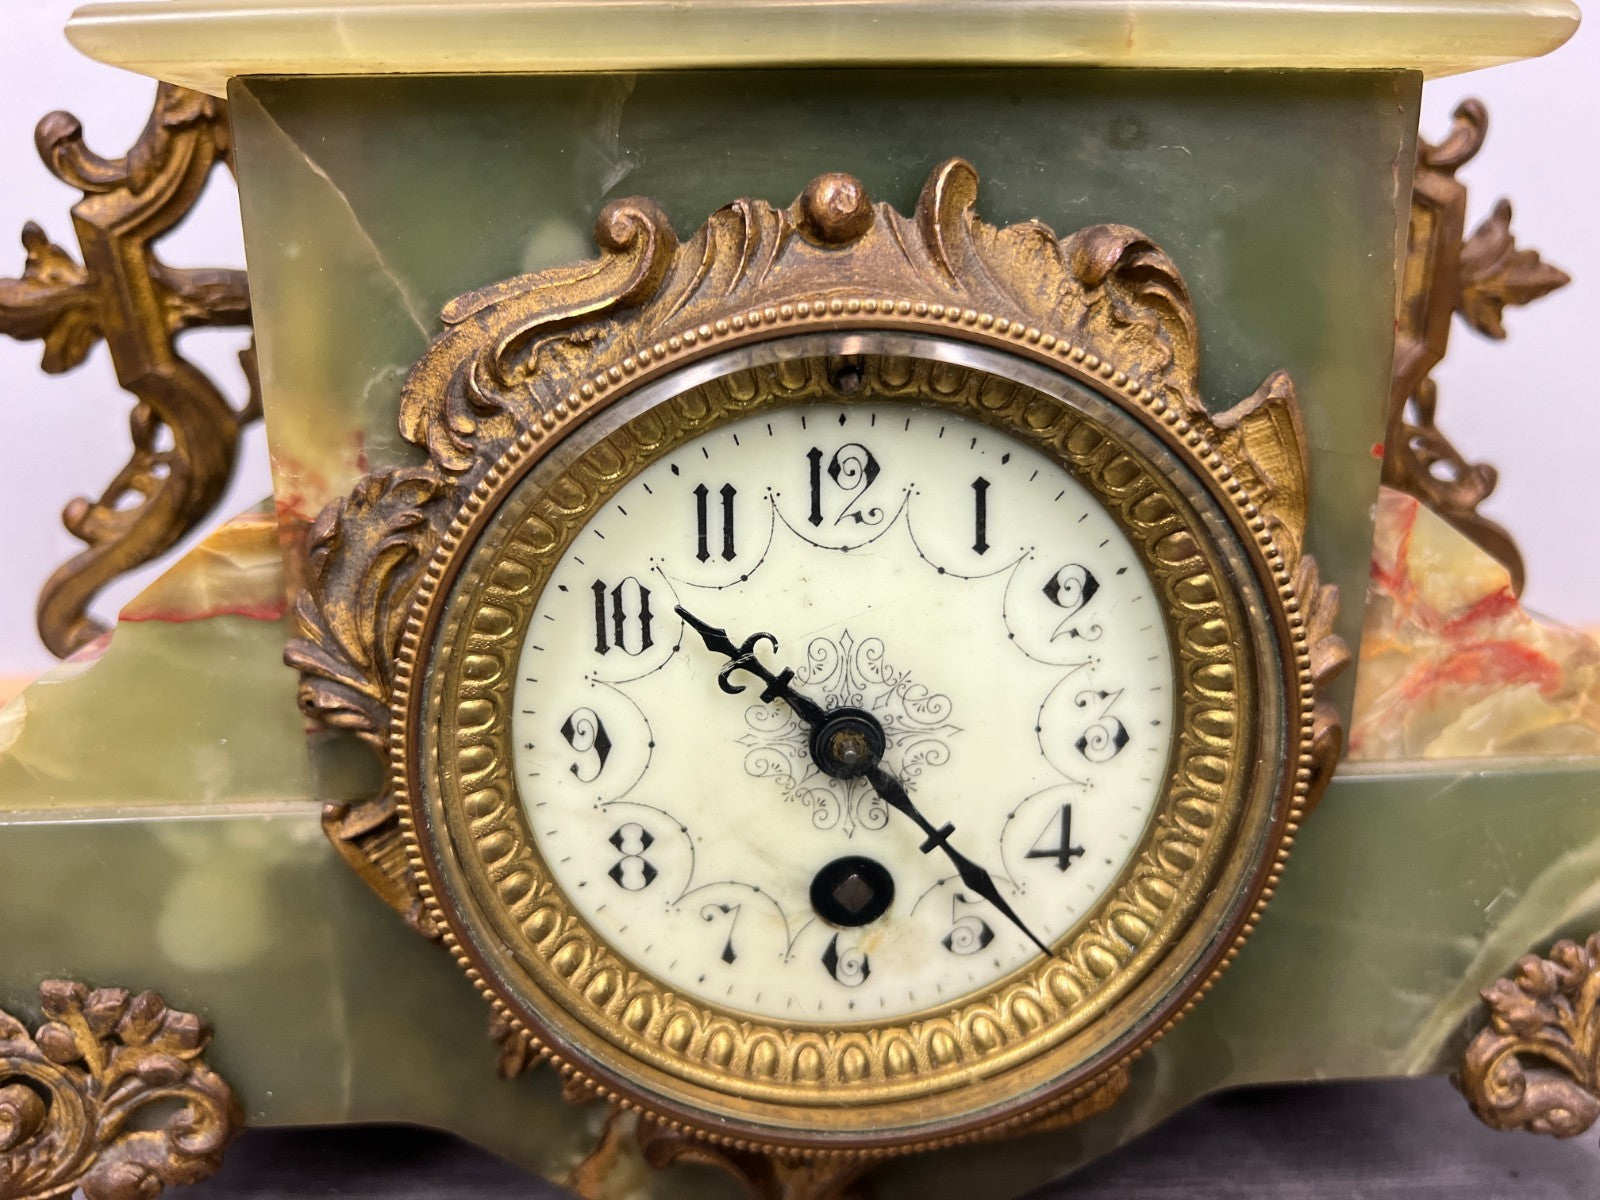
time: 10:23
